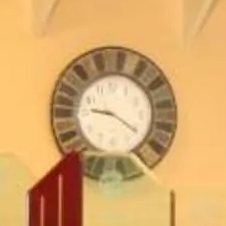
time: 9:20
